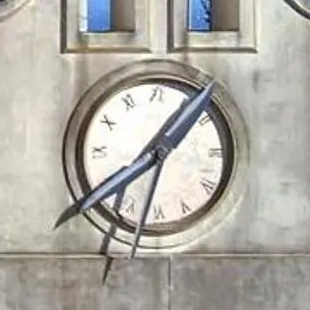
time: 1:32
